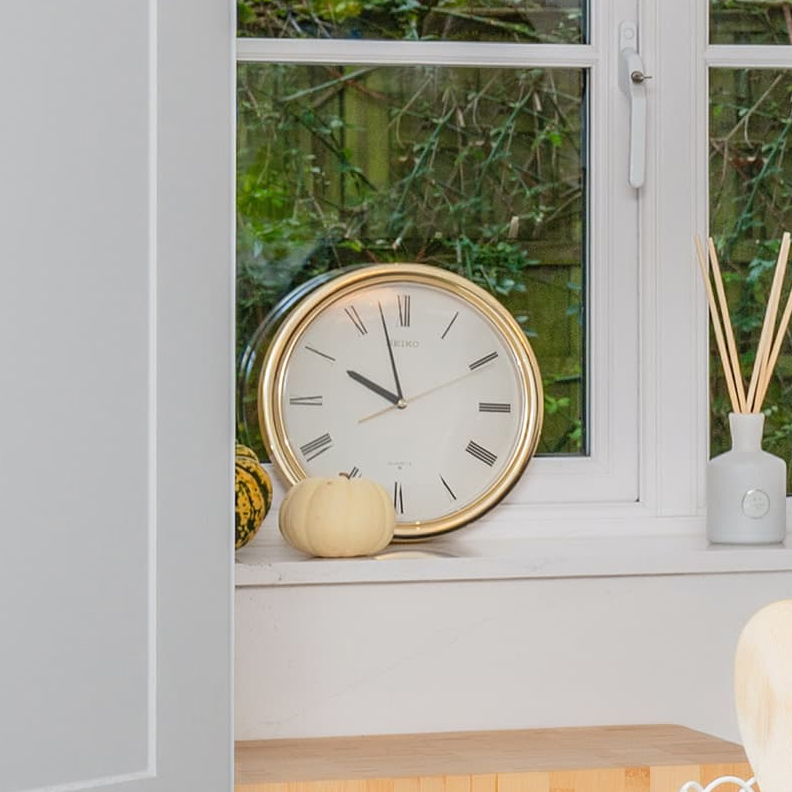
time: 9:57
